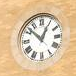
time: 12:52
